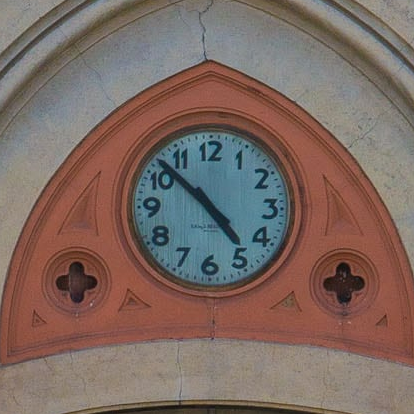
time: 4:52
